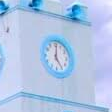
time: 5:01
